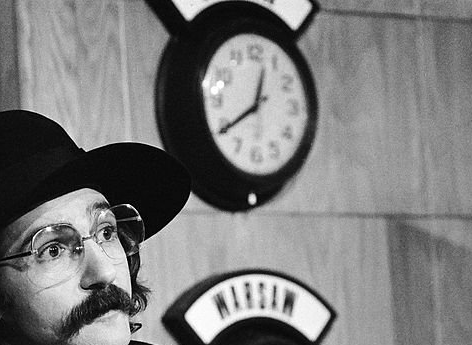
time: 12:39
